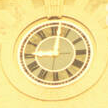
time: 9:01
